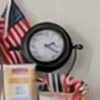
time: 2:20
